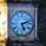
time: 5:11
